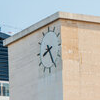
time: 8:25
